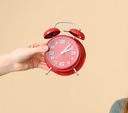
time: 2:07
